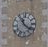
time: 11:21
